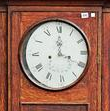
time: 4:00
